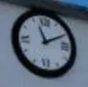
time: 11:10
